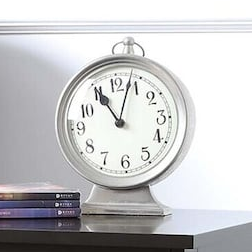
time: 11:03
